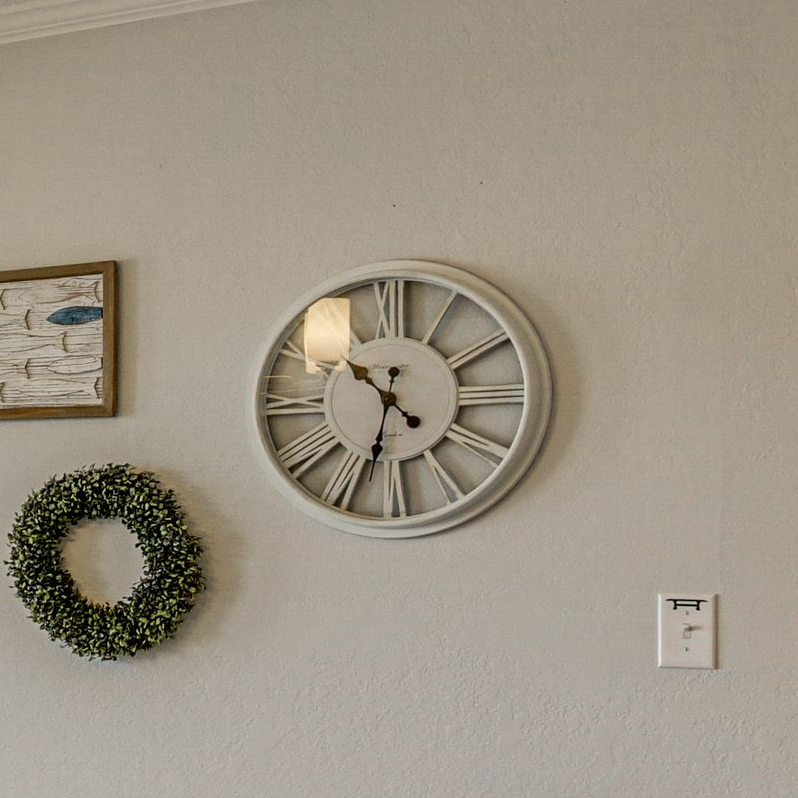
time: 10:33
